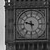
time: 9:28
